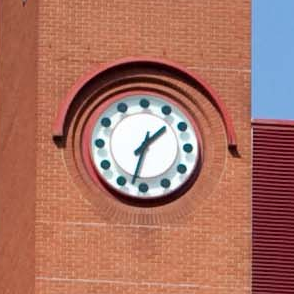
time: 1:32
